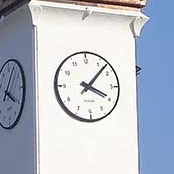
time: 4:07
